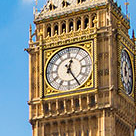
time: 12:24
